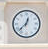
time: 12:37
